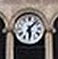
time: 6:07
